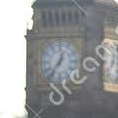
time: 12:36
